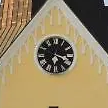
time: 6:17
